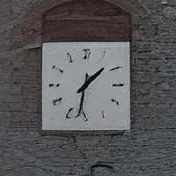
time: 1:32
